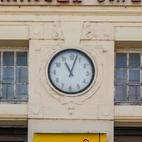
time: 11:02
